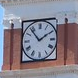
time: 1:53
